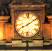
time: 8:09
